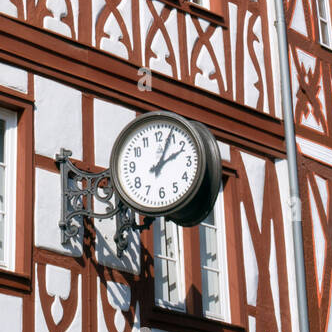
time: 2:04
